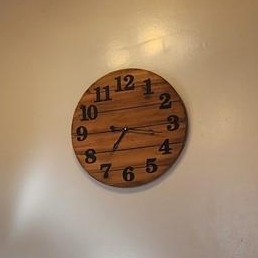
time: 7:15
